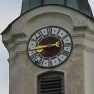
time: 8:43
